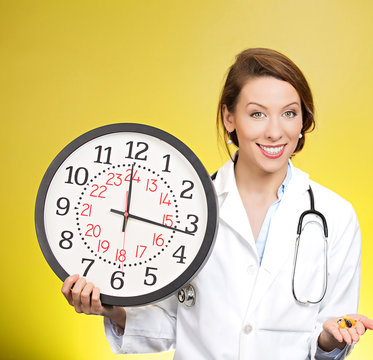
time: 12:16
